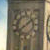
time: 1:39
